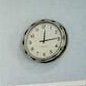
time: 12:14
